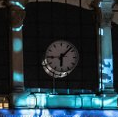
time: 6:07
